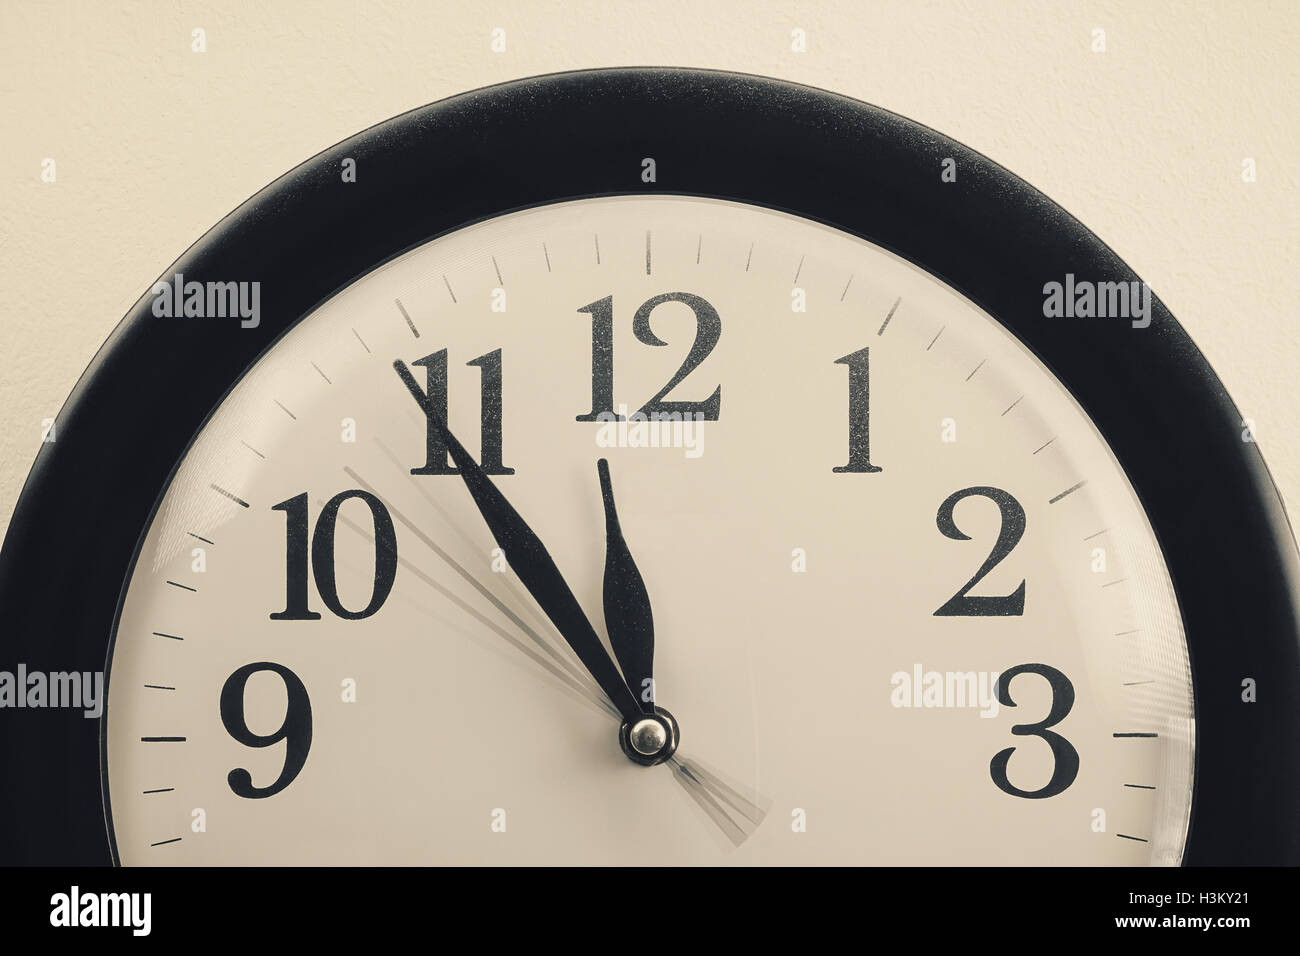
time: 10:54
